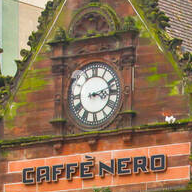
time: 3:12
